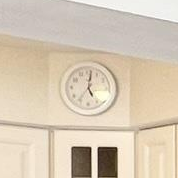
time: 5:01
